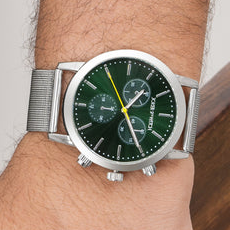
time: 1:25
